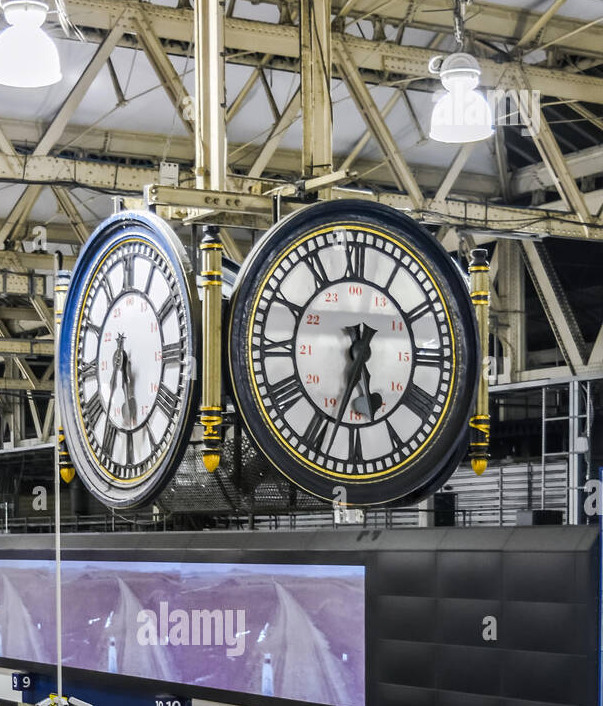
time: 5:33
